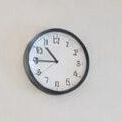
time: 10:45
